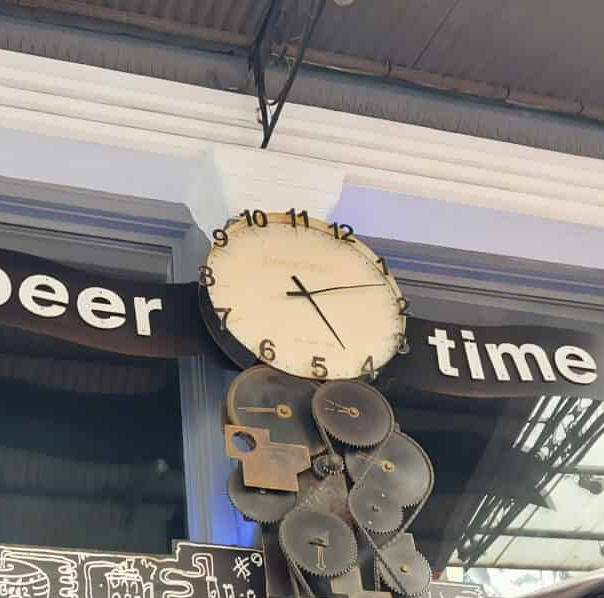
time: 5:12
